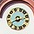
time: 8:12
